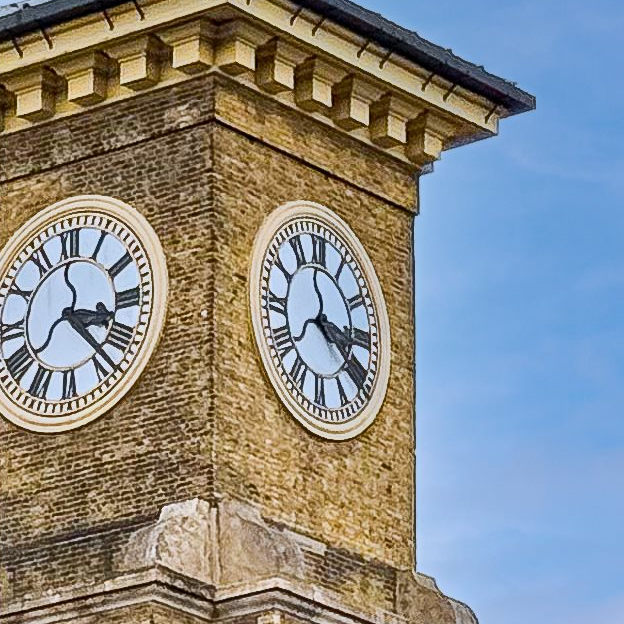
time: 3:20
